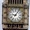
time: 9:05
